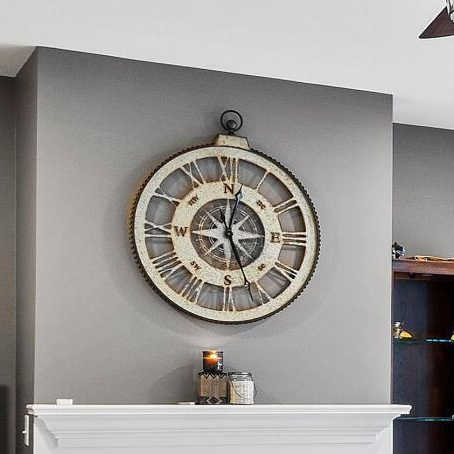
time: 12:26
